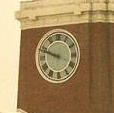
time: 9:48
